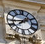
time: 1:43
